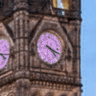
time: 4:18
